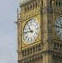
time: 10:46
